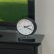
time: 2:19
